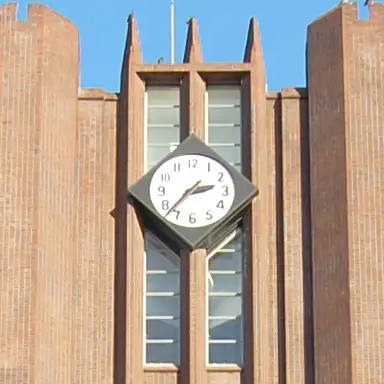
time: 2:37
